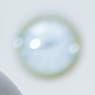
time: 8:12
